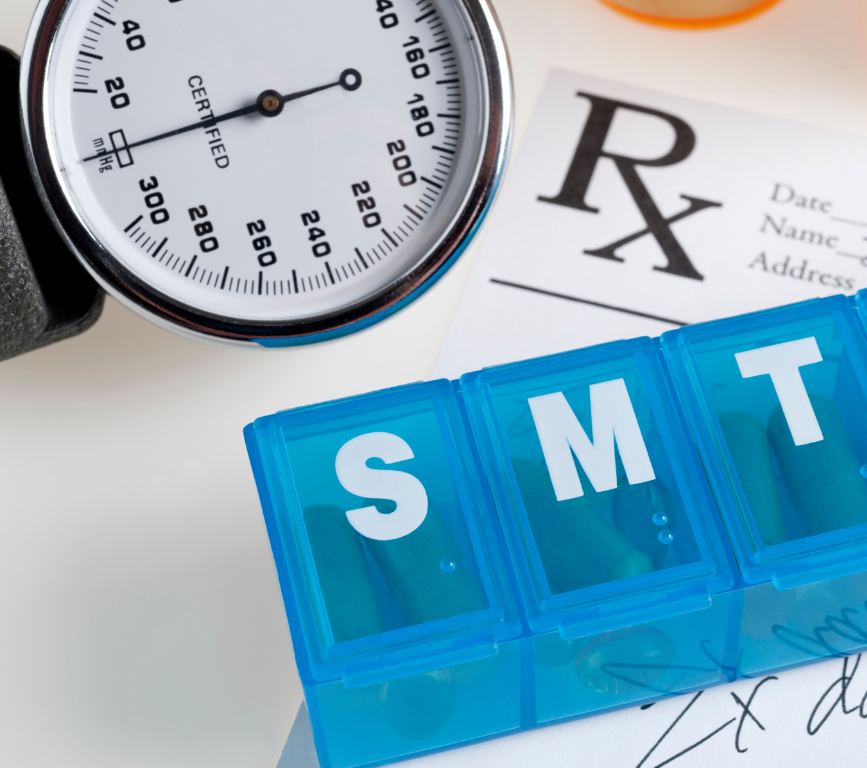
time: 8:44
